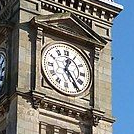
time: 12:23
